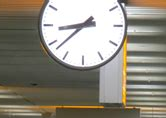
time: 8:38
